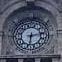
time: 6:14
